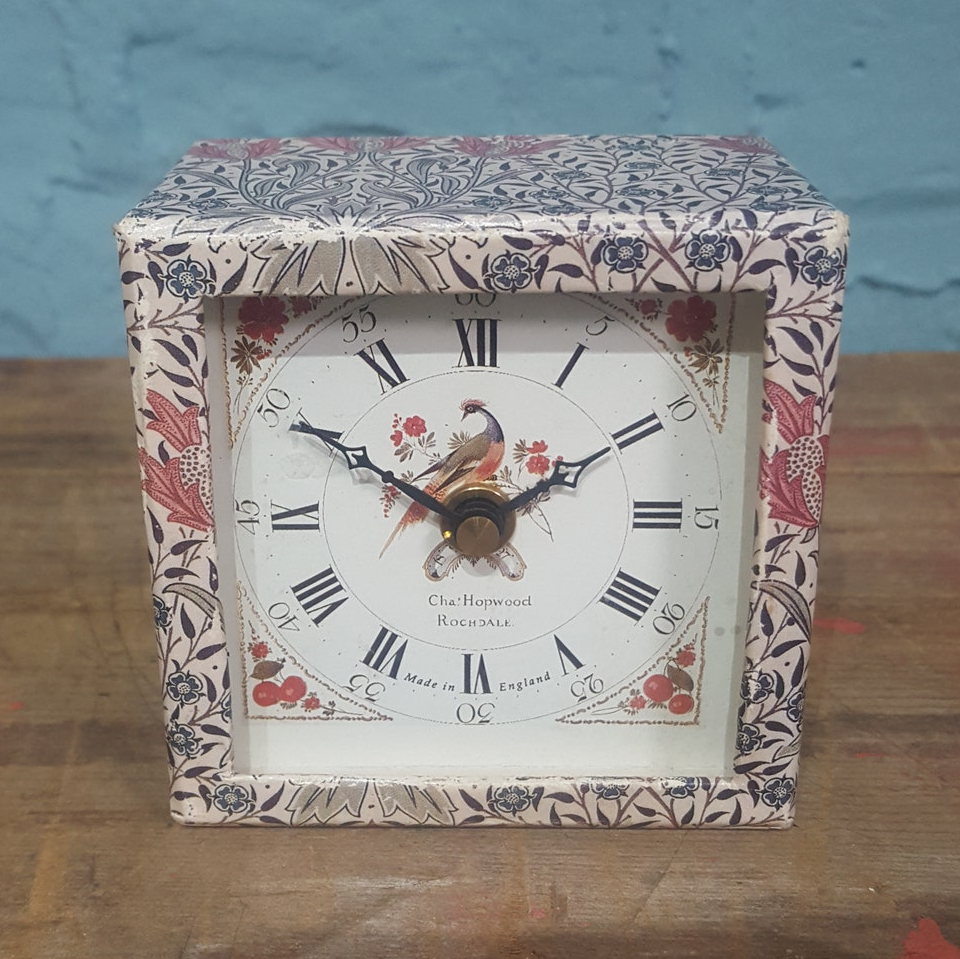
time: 1:50
